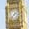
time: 1:37
